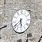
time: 5:38
